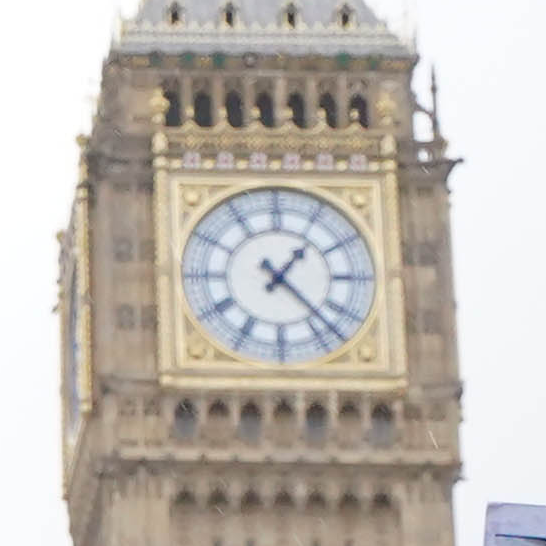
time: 1:22
